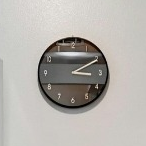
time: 3:10
